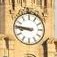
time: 8:46
